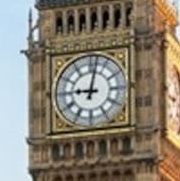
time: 9:01
